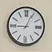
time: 9:04
